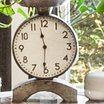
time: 11:30
